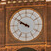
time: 9:50
